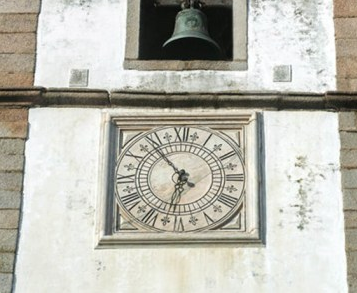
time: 10:32
